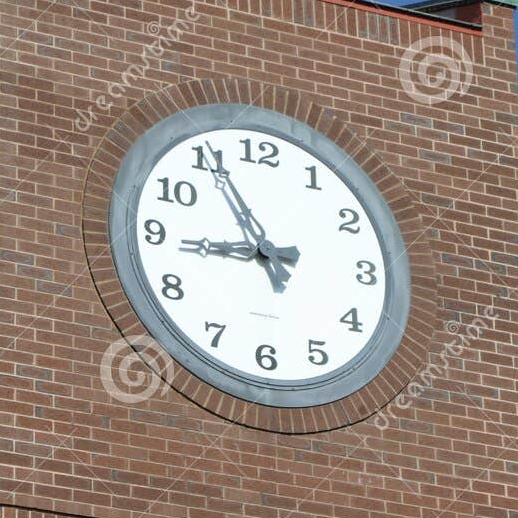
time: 8:55
